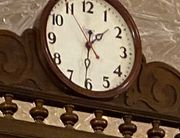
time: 1:31
